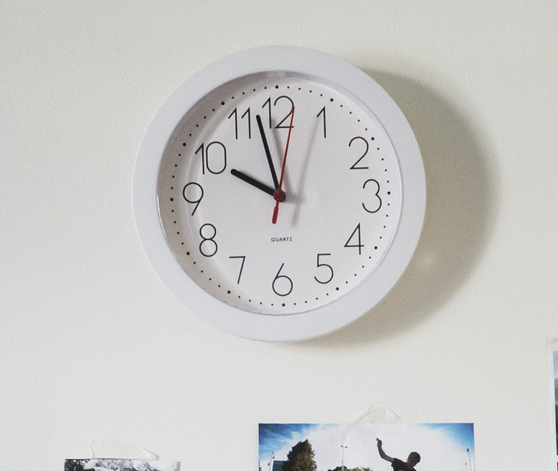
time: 9:57
